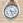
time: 3:26
